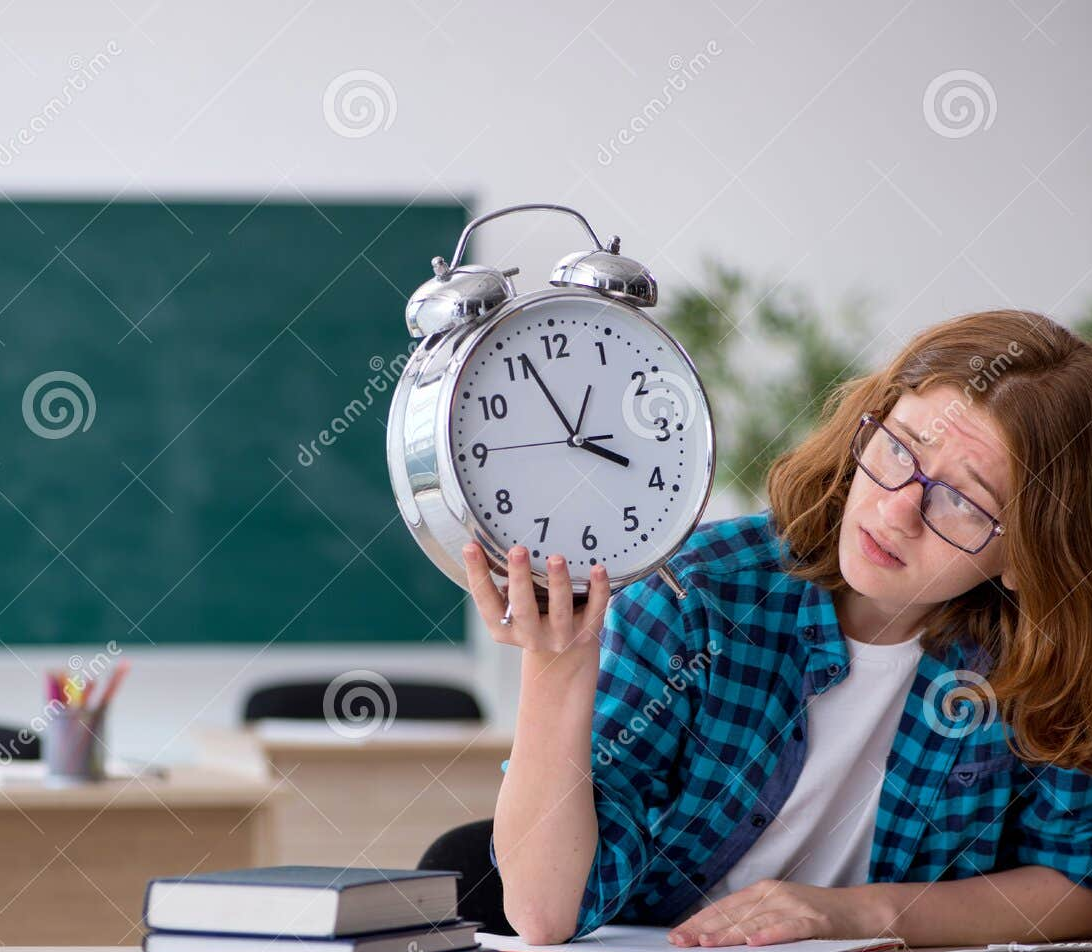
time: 3:56
